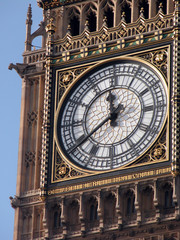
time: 11:39
